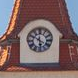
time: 5:50
